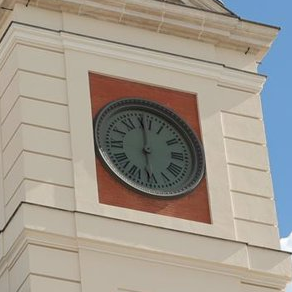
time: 5:59
